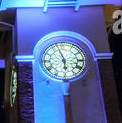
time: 5:57
